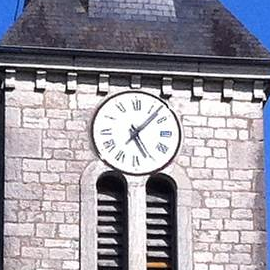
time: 5:07
